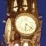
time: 6:21
